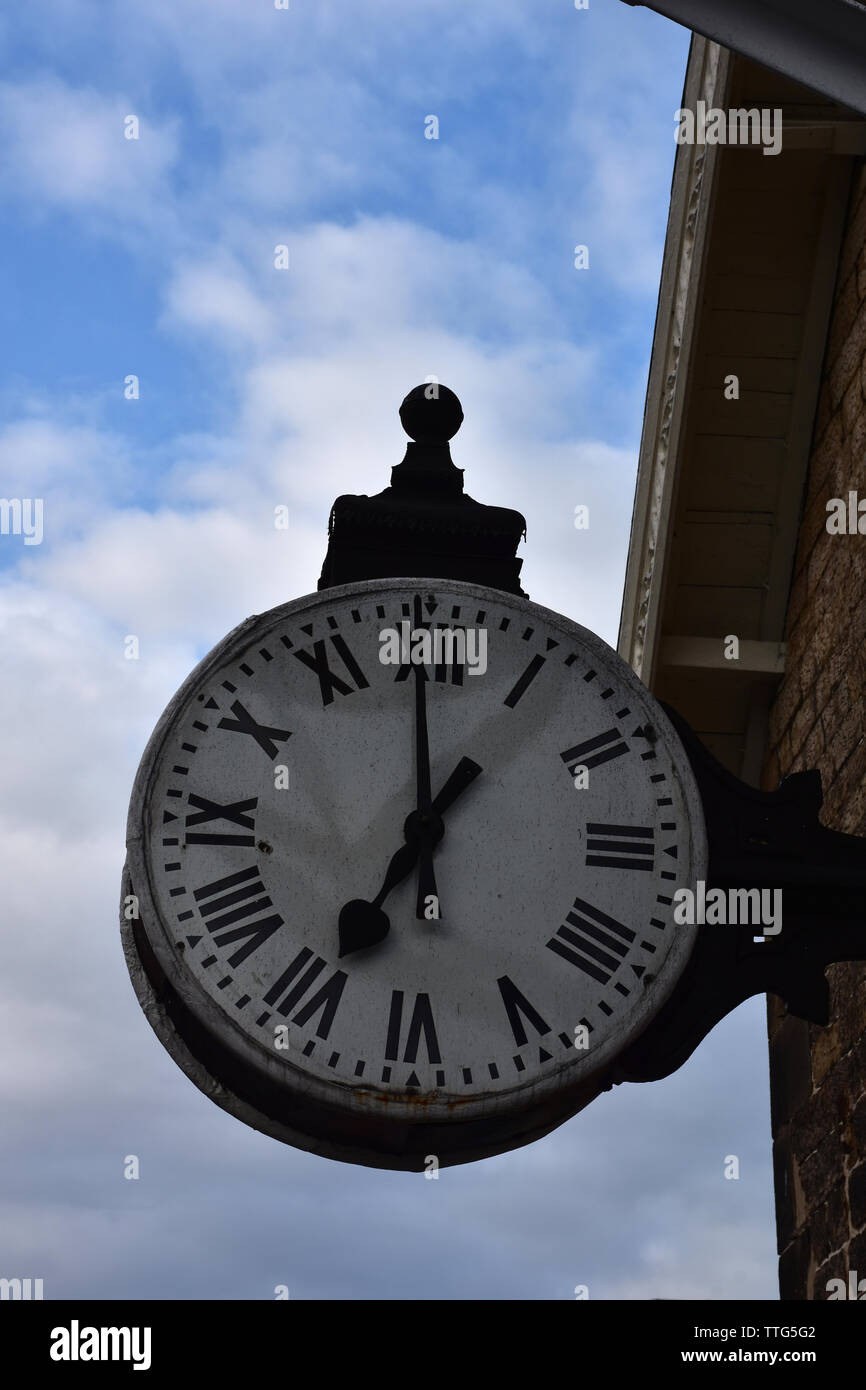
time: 6:59
